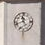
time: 11:41
